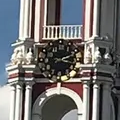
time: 2:18
